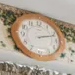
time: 2:11
